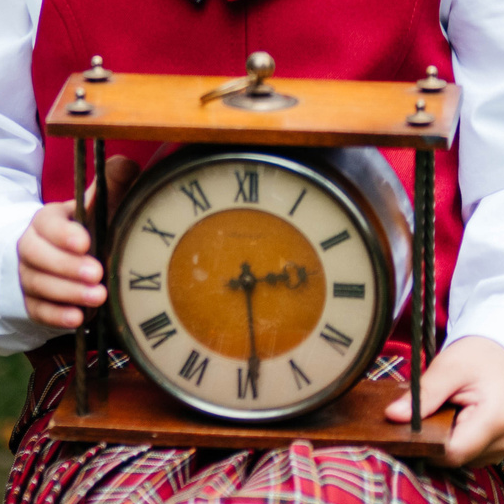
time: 2:29
